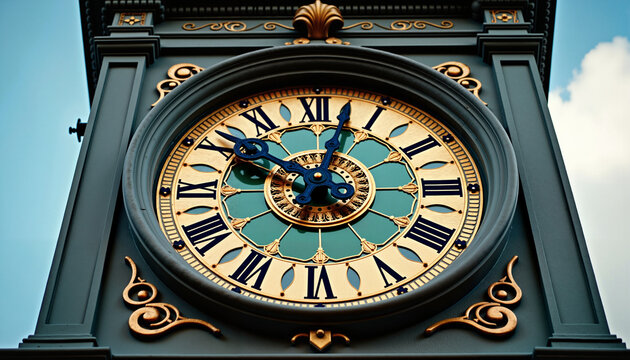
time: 10:02
